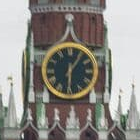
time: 6:05
